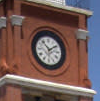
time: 1:52
